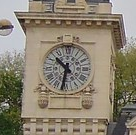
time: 10:32
